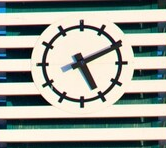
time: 5:10
